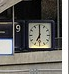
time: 7:00
